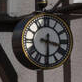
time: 3:29
